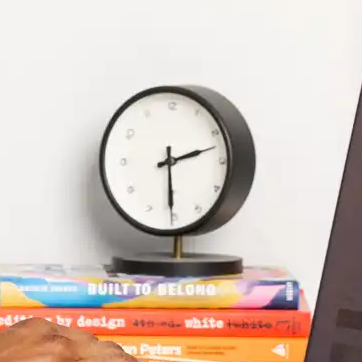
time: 2:29
